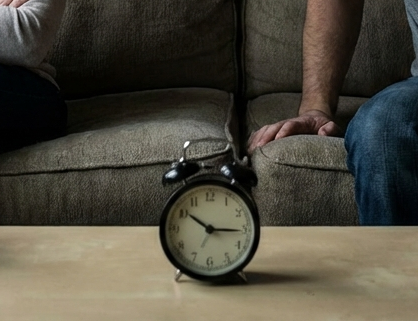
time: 10:15
